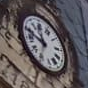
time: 11:48
